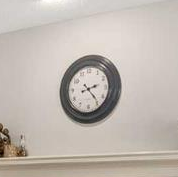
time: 2:23
